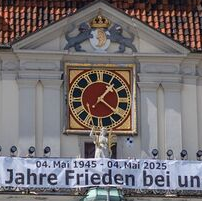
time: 1:21
